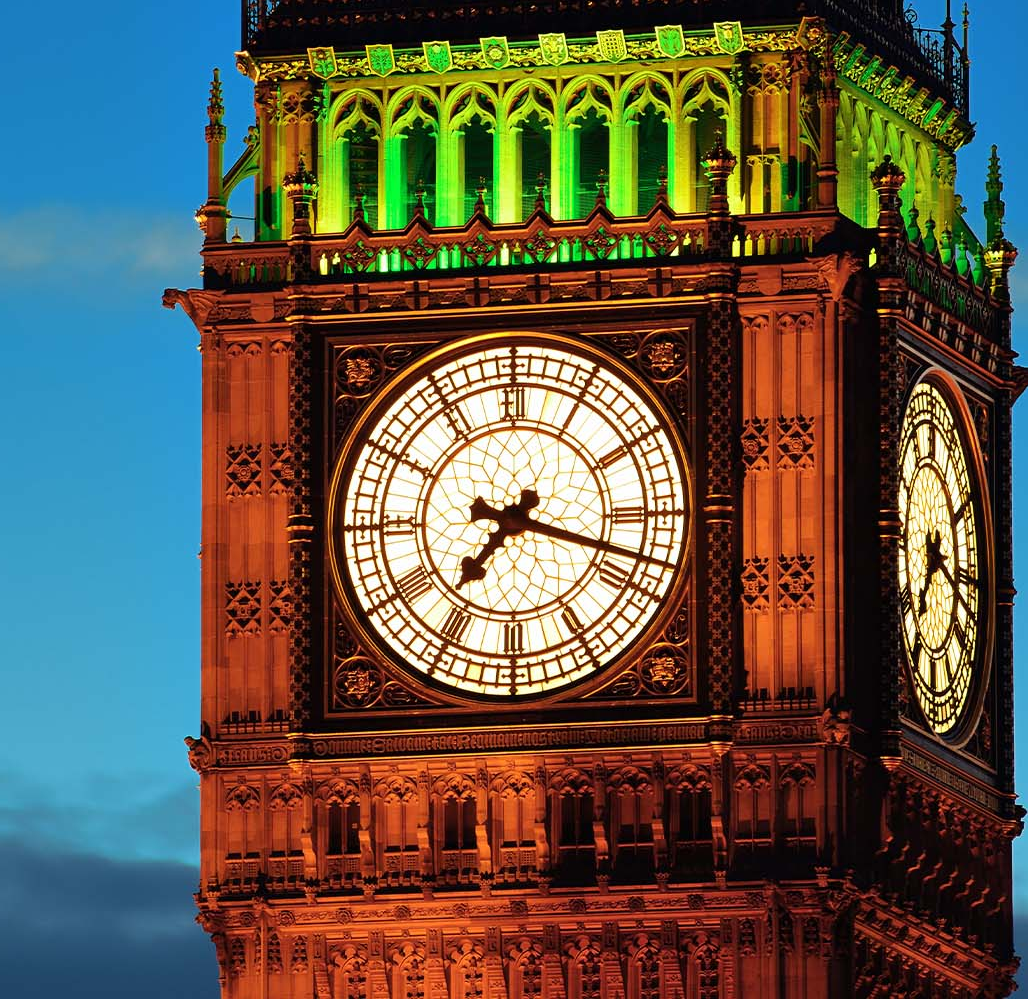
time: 7:17
